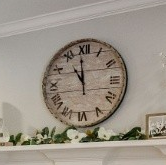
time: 10:59
